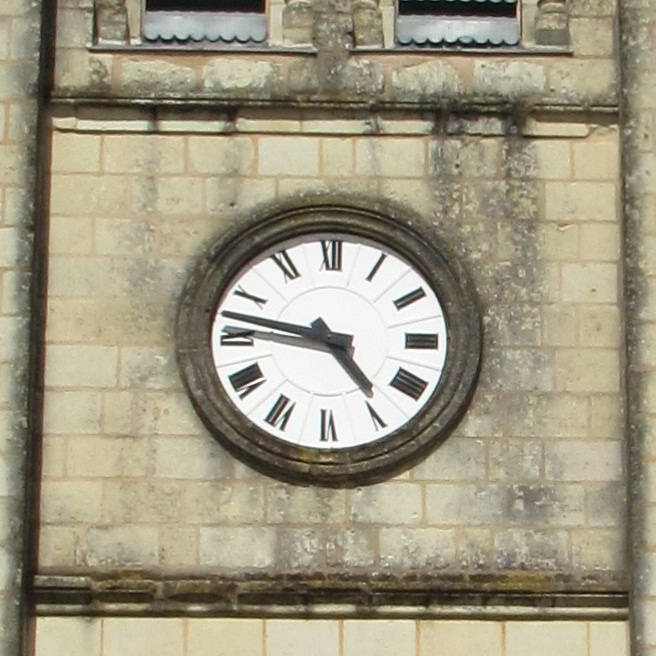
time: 4:47
